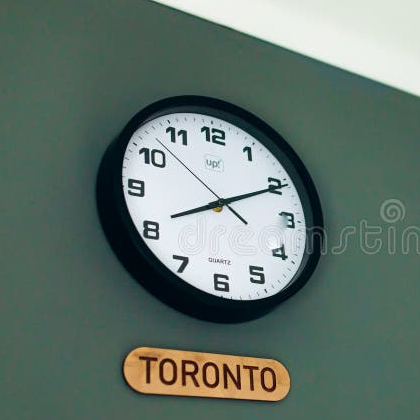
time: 8:10
